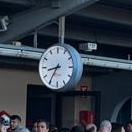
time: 8:35
